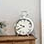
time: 9:41
